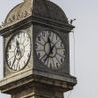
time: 11:35
